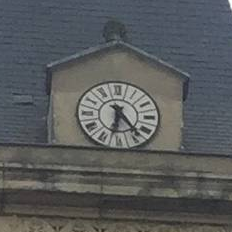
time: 6:23
